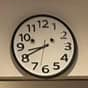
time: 8:40
